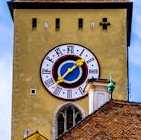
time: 1:37
